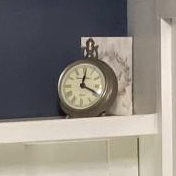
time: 12:19
